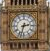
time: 2:32
